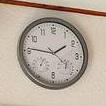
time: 1:46
